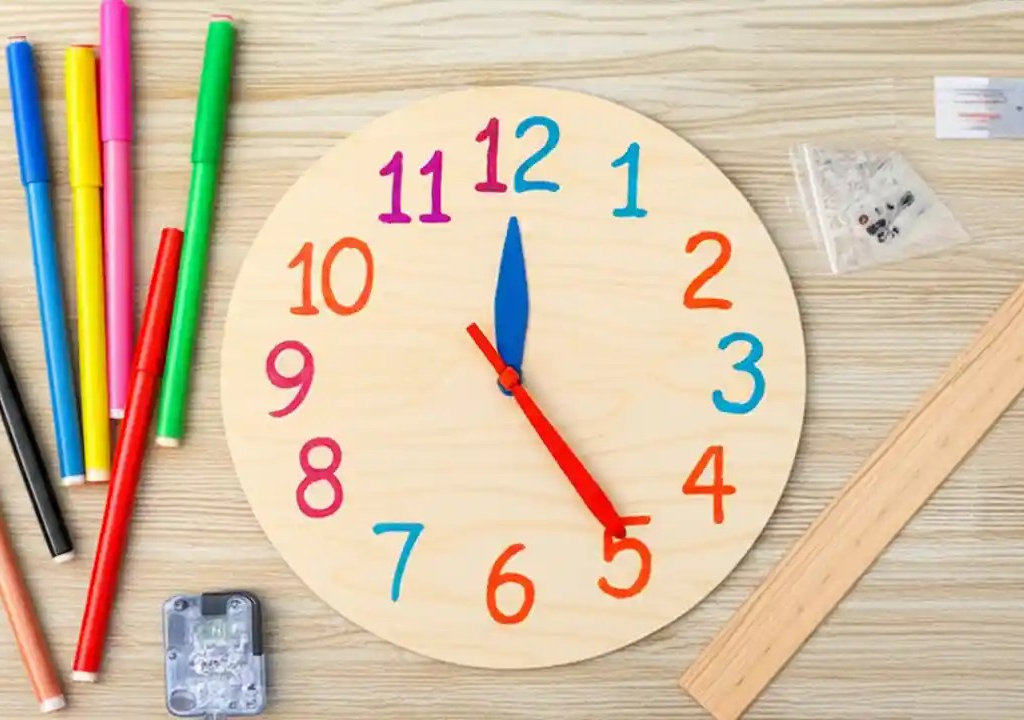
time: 12:24
